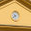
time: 7:37
